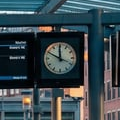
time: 11:49
